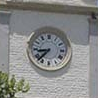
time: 8:37
